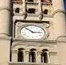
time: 2:52
